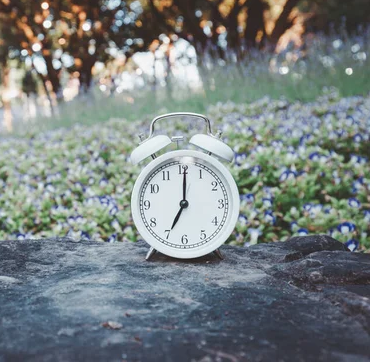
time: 7:00
